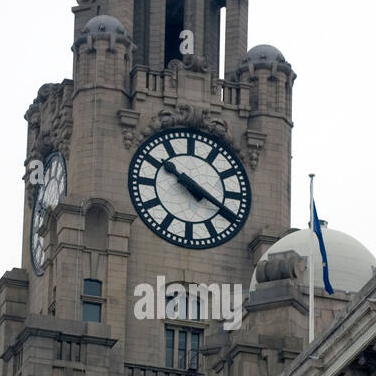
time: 10:19
